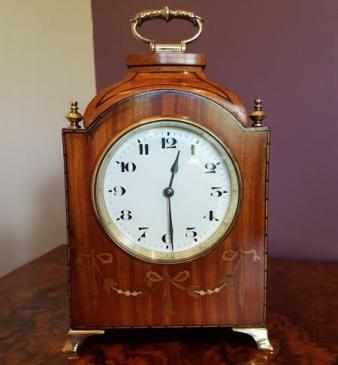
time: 12:29
